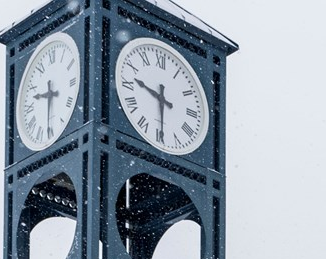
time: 9:29
